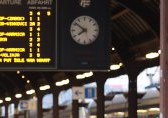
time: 7:51
